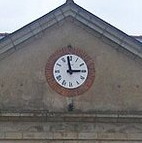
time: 2:58
